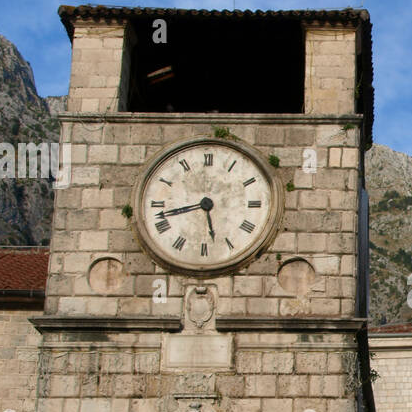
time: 5:42
